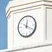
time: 12:19
